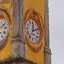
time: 12:11
